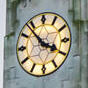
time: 3:52
